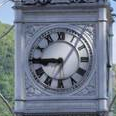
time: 8:45
